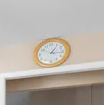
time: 1:16
